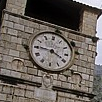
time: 3:45
